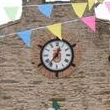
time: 12:36
